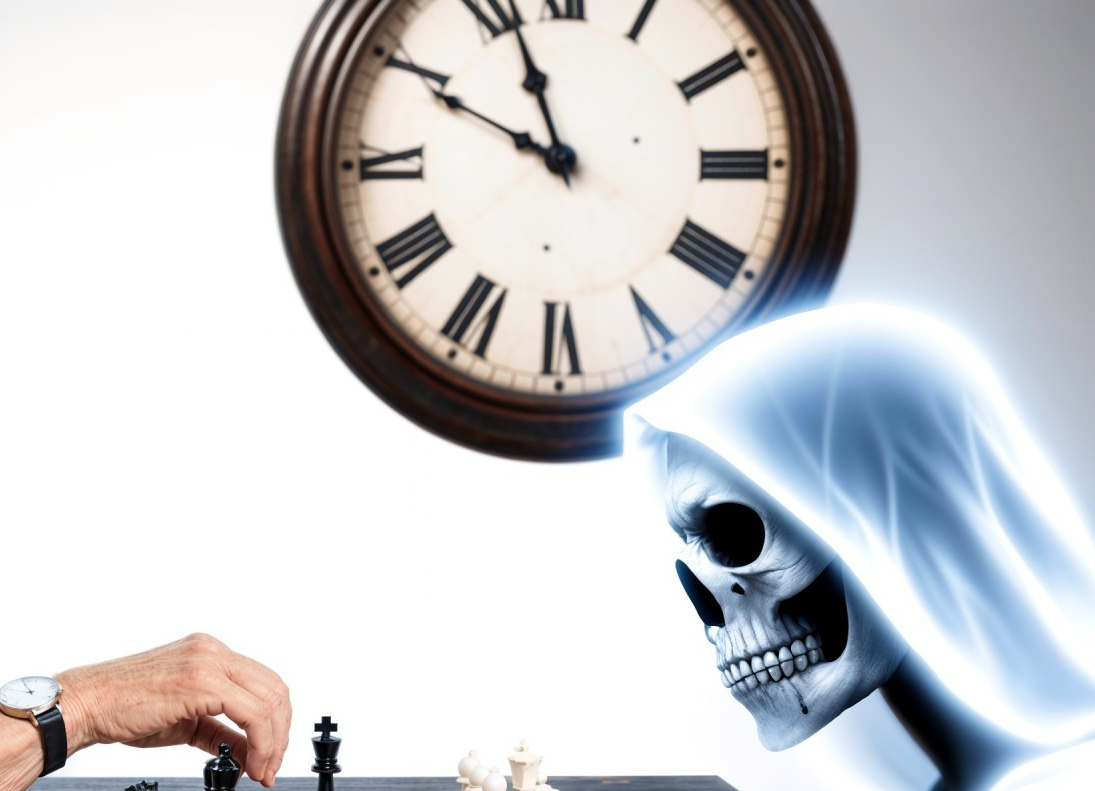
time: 9:56
